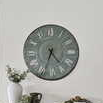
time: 4:34
